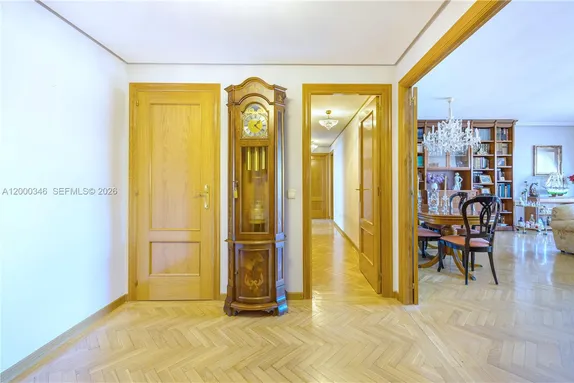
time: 5:59
